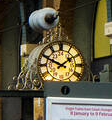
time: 1:49
